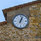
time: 1:02
